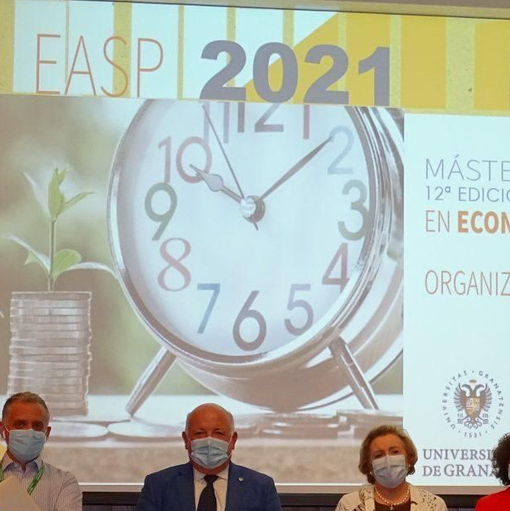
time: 10:08
